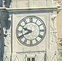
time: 9:41
